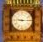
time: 9:14
